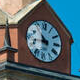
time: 10:42
